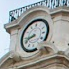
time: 8:41
